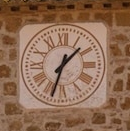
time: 1:33
